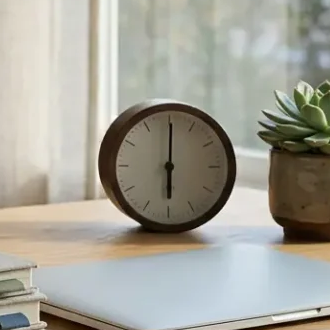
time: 6:00
